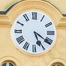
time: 5:20
